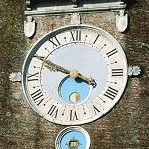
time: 3:49
